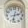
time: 2:32
